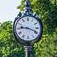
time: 9:18
